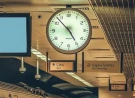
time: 4:52
